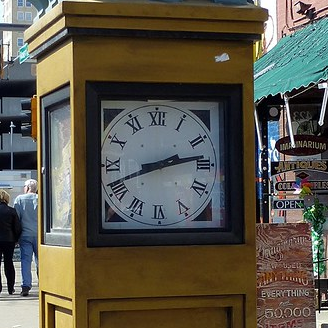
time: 2:41
